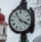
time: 3:53
